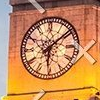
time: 6:08
